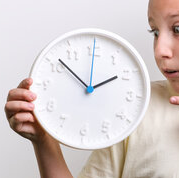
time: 1:51
